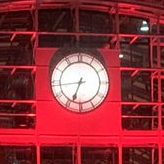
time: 6:43
